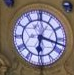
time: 6:17
